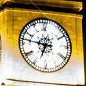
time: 6:46
